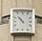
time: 10:52
